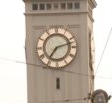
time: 7:12
